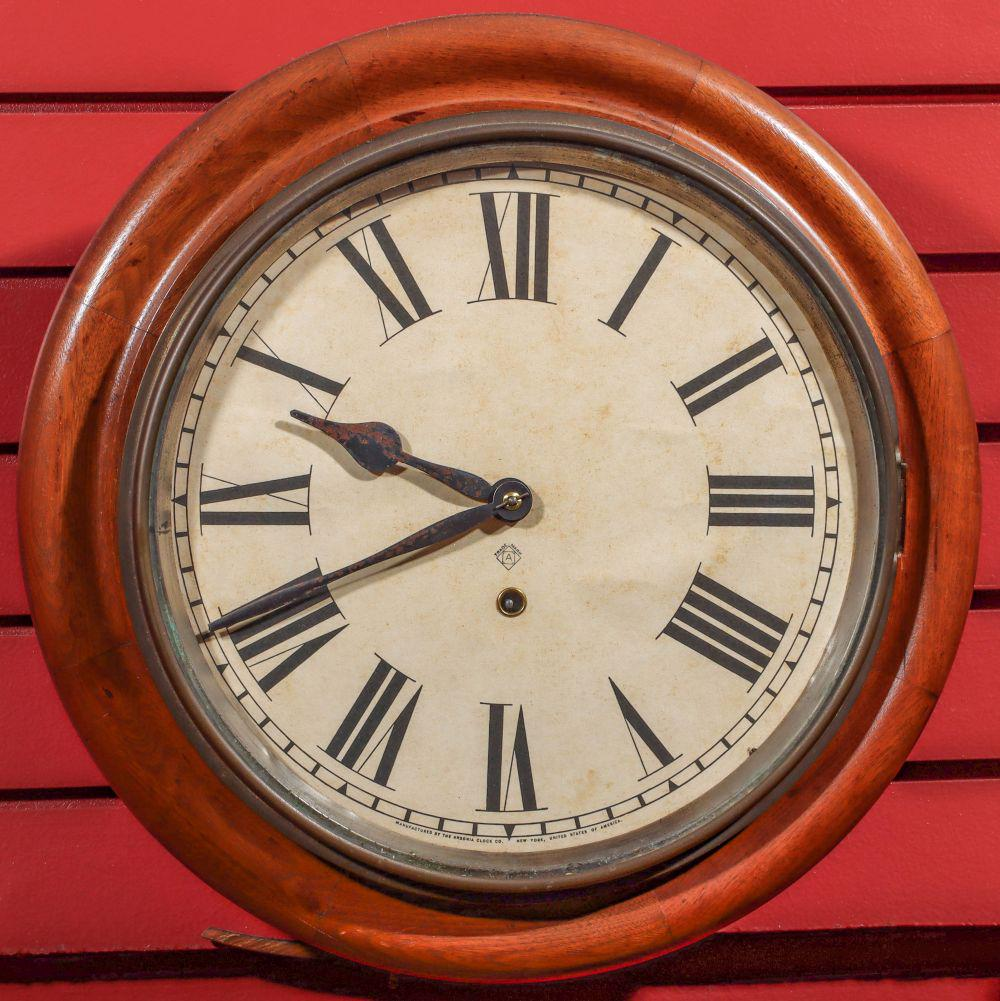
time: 9:41
